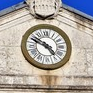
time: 4:49
